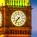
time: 7:36
